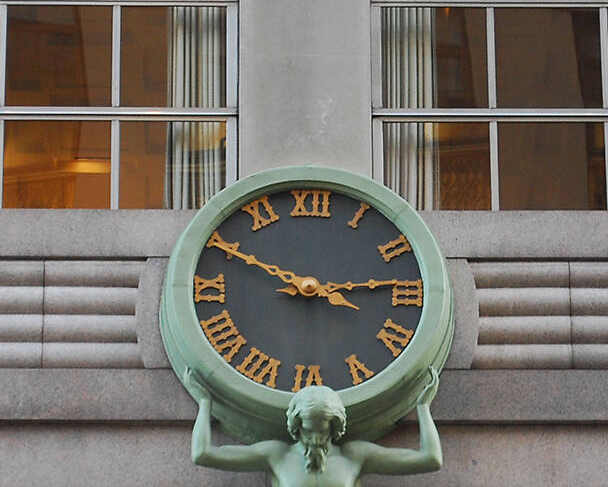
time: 2:49
